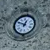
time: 12:49
